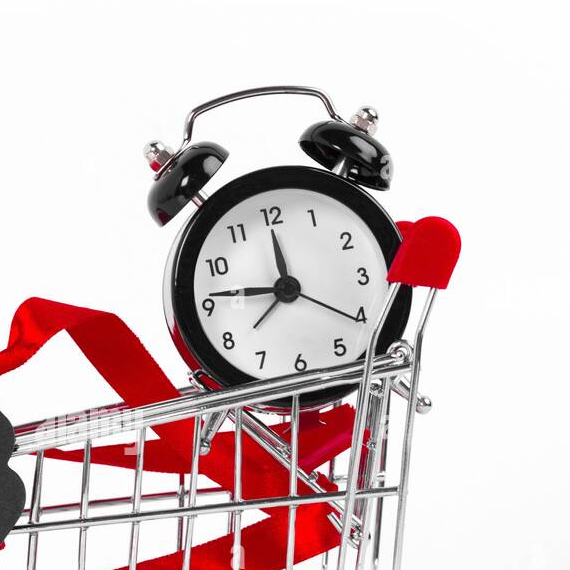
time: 11:46
